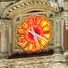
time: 5:19
